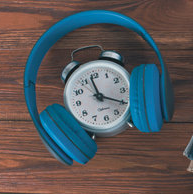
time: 3:58
